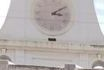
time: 3:09
